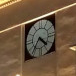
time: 4:35
